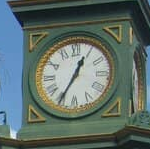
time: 12:35
